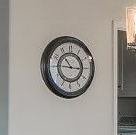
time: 10:45
